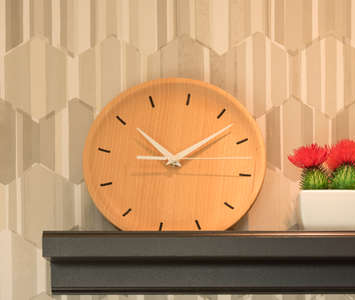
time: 10:07
